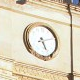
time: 5:11
